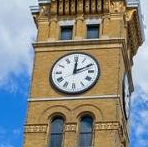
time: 12:10
